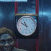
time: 10:48
